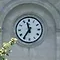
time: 11:35
